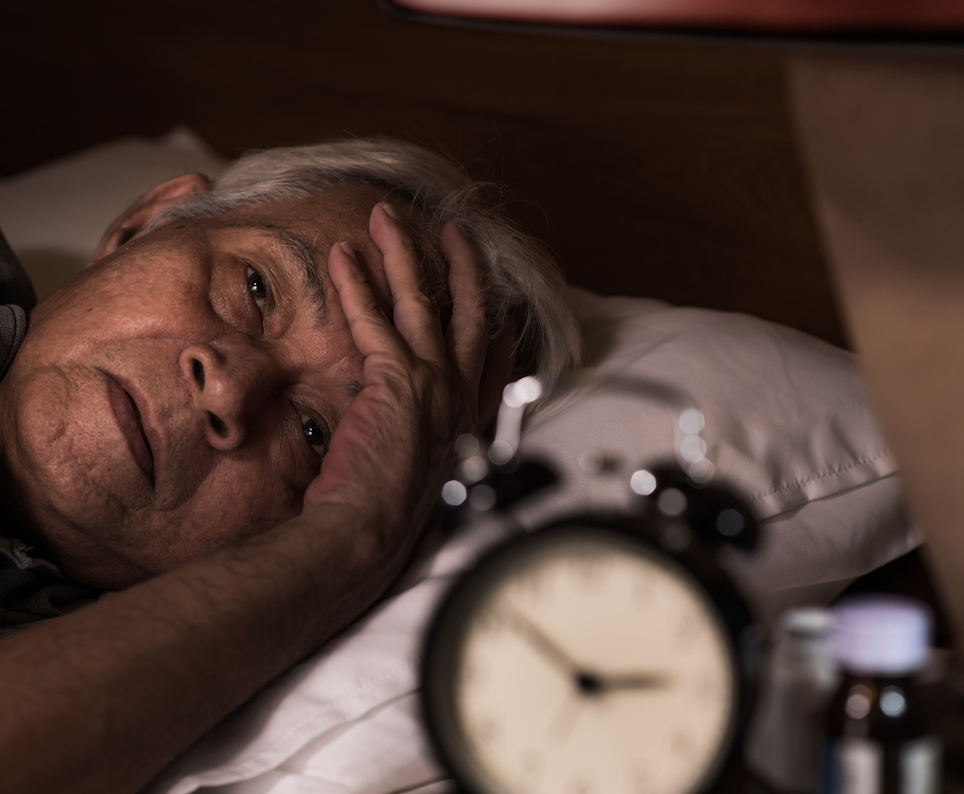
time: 2:52
